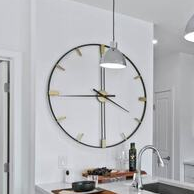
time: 3:44
